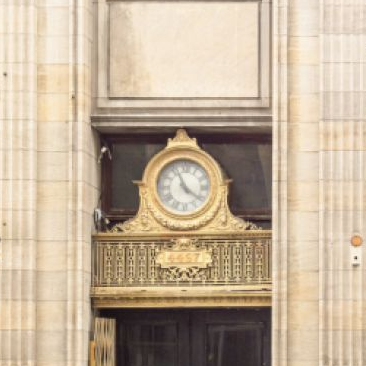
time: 11:21
